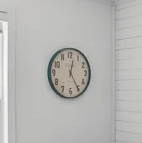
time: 12:24
